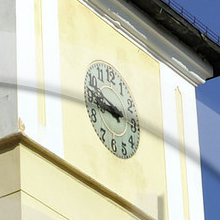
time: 8:47
